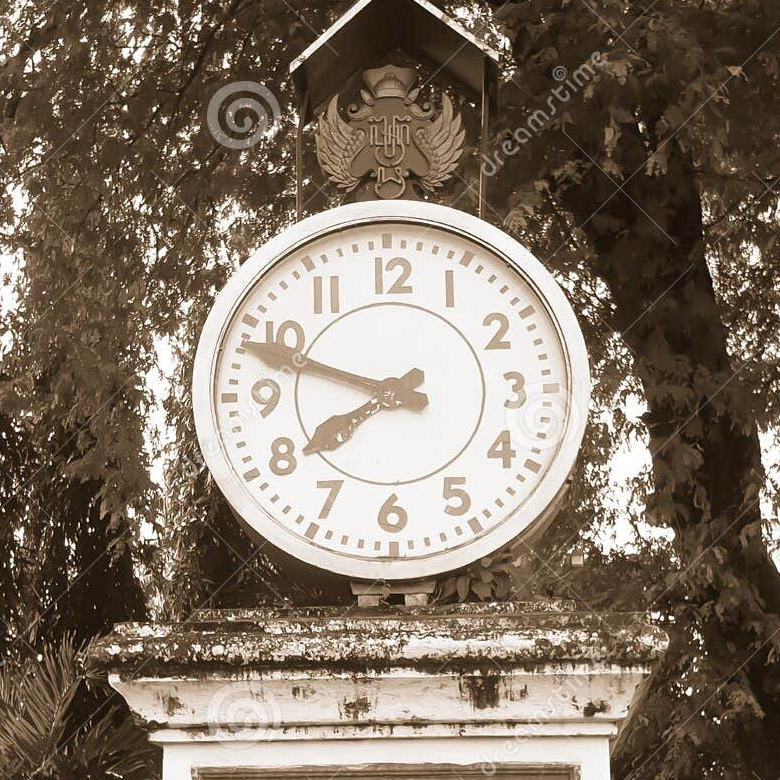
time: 7:48
